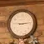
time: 9:13
